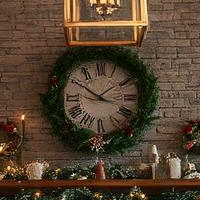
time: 1:50
